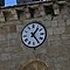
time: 1:24
